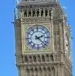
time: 2:22
